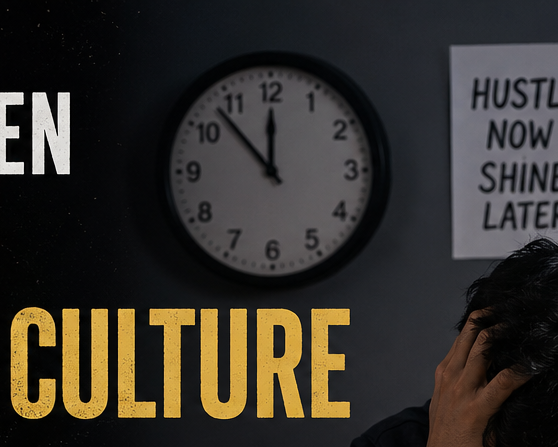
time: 11:52
